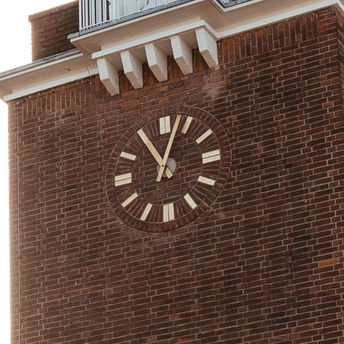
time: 11:03
